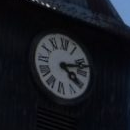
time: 4:12
